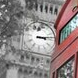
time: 3:13
